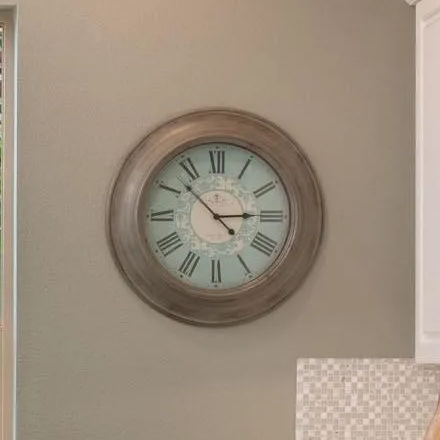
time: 2:52
